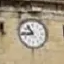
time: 10:43
